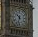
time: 10:32
